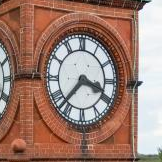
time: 3:37
